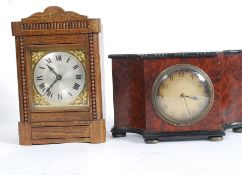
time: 10:37
